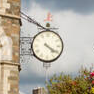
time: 4:20
